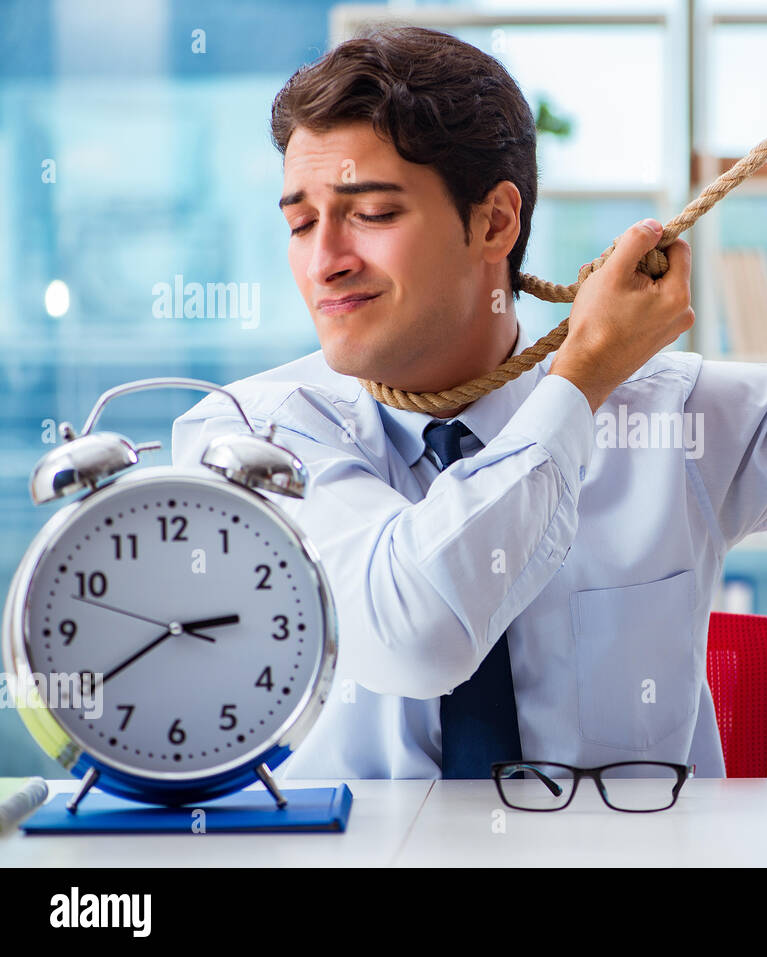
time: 2:39
